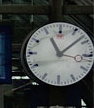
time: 11:08
